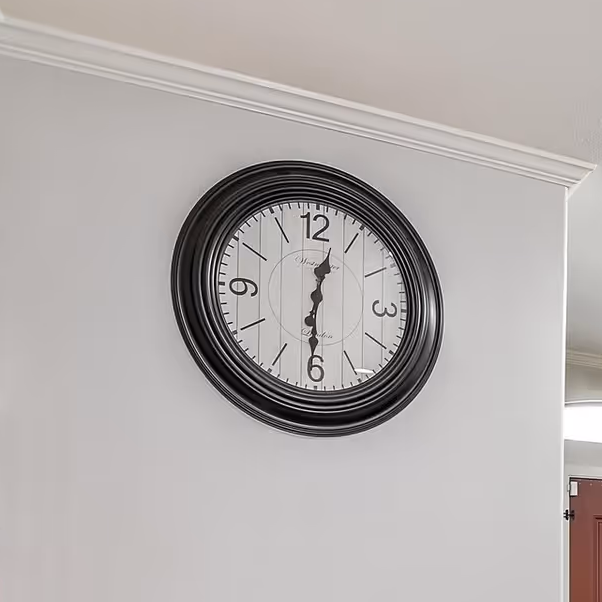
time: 12:30
